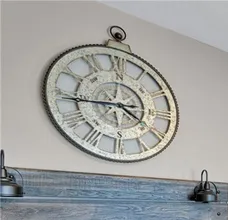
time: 3:44
